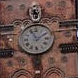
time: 1:56
